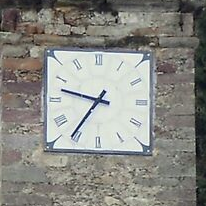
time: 9:36
